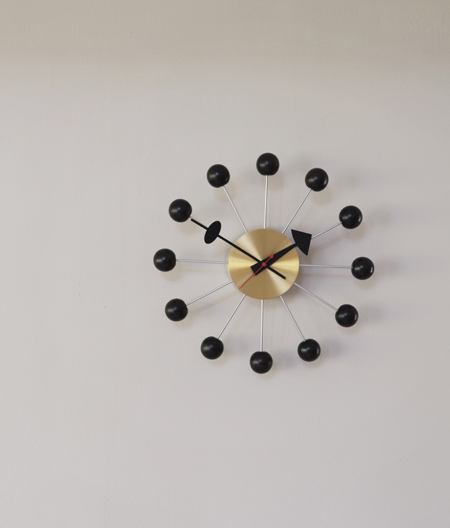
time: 1:50
